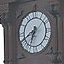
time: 6:40
